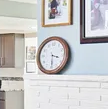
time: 3:29
